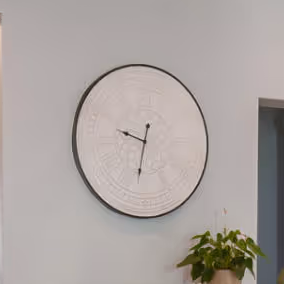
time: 9:32
